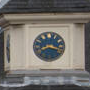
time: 8:17
